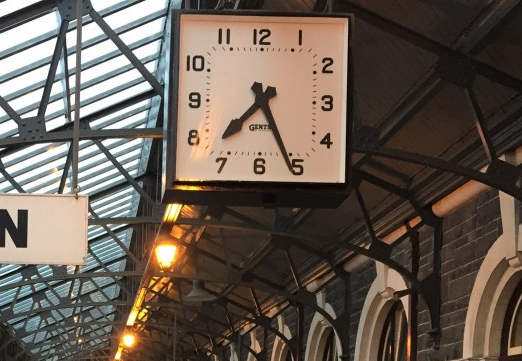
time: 7:25
